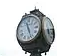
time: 11:26
